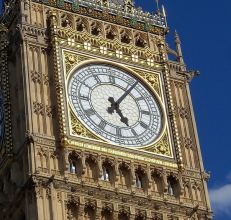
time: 5:06
